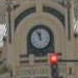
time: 11:56
